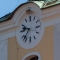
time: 9:36
